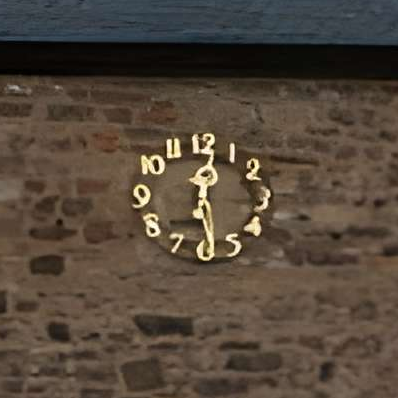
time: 12:28
